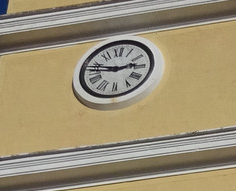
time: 2:46
